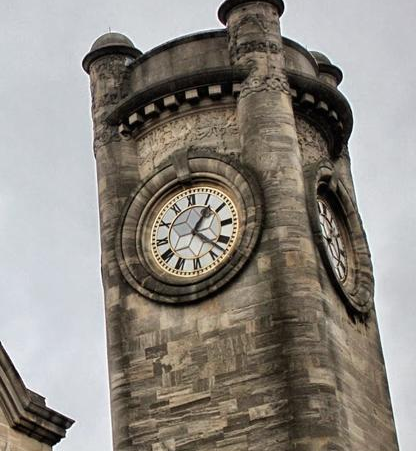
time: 1:22
